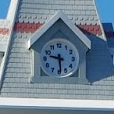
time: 9:29
